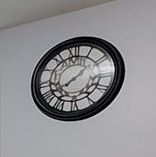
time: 8:07
